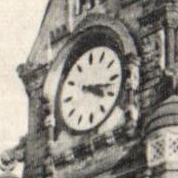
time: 4:17
